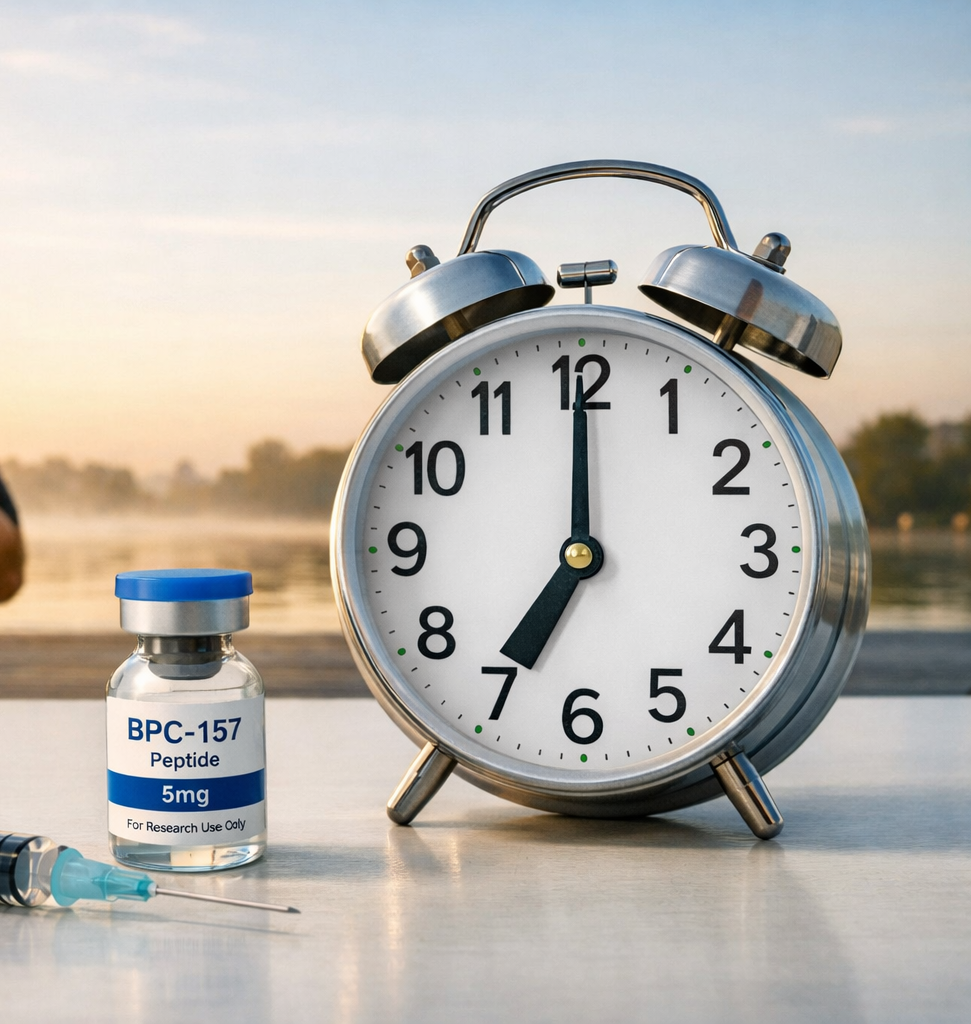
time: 7:00
